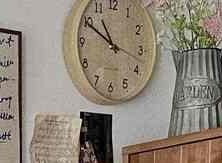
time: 10:49
